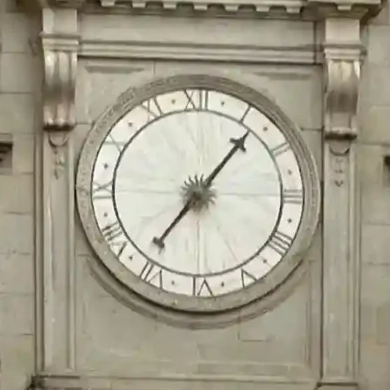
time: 7:06
